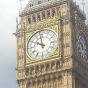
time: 9:57
